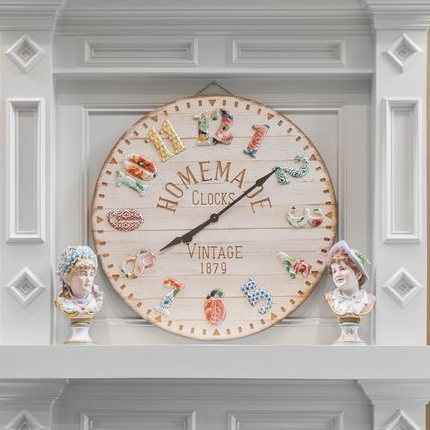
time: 8:08
